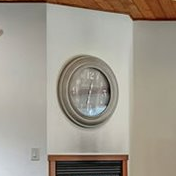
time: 8:32
